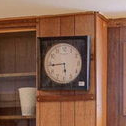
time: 5:44
